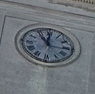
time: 11:00
